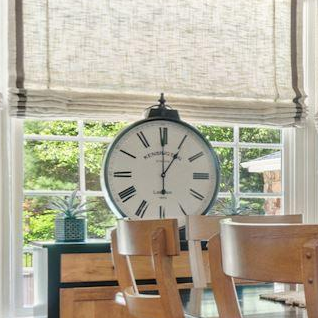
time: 12:59
